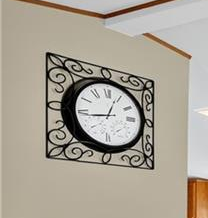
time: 12:43
